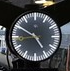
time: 4:50
